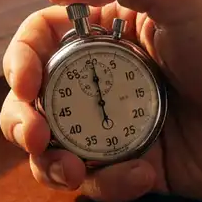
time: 6:00
